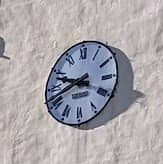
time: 9:41
